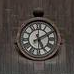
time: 5:10
